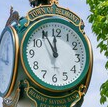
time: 11:55
